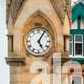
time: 5:05
